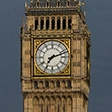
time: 7:12
